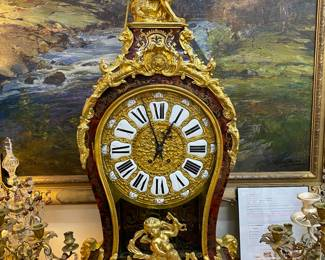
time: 12:57
